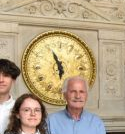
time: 5:55
